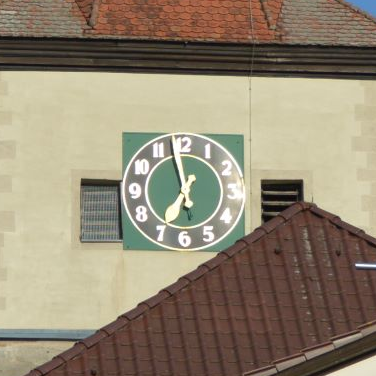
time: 6:58
